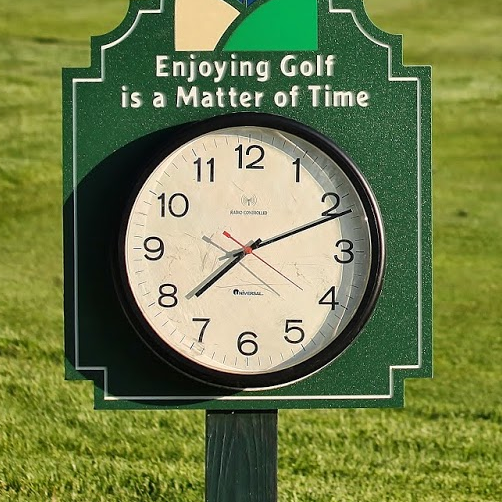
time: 7:11
